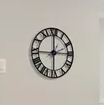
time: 2:59
